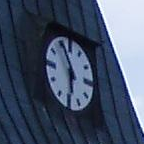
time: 5:55
